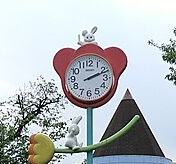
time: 2:11
